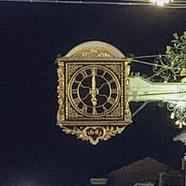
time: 5:59
